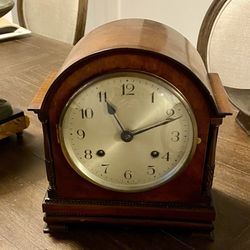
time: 11:11
